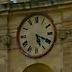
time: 5:19
